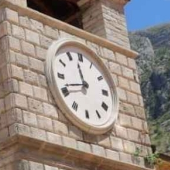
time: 11:41
